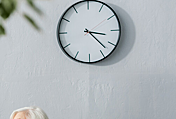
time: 3:22
